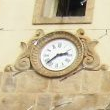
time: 2:38
